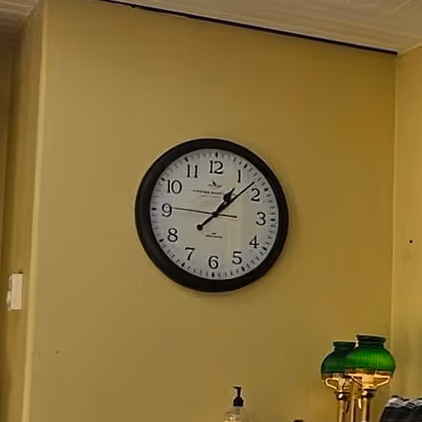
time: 1:07
